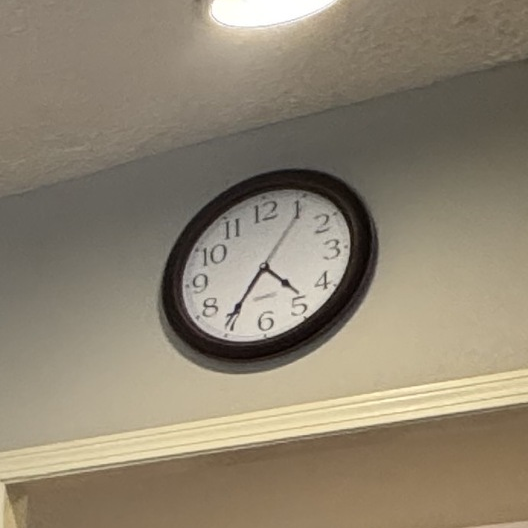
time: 4:35
